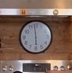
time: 5:58
